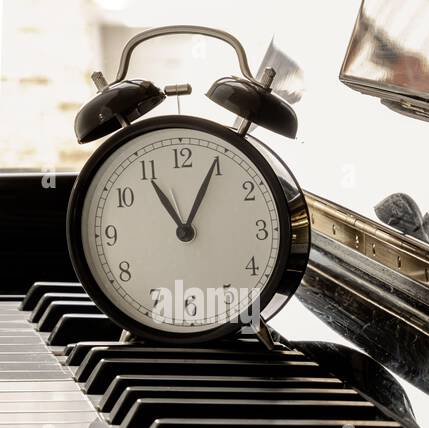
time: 11:05
